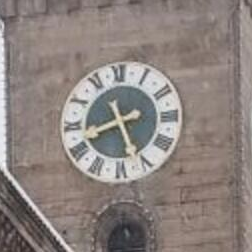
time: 8:26
